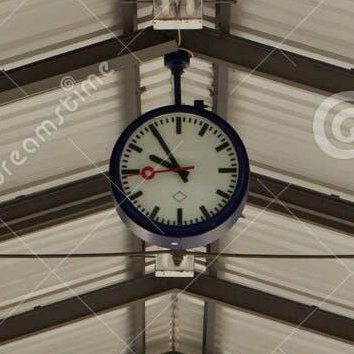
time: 9:54
